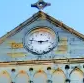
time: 2:46
